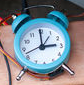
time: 2:59
